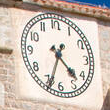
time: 4:33
